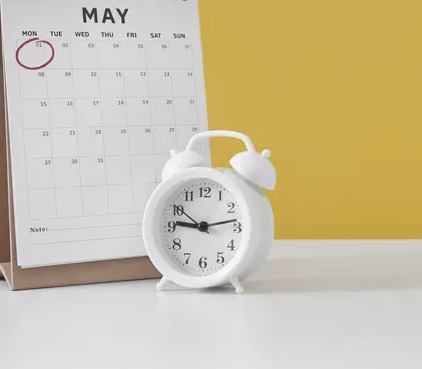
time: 9:13
